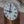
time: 9:01
